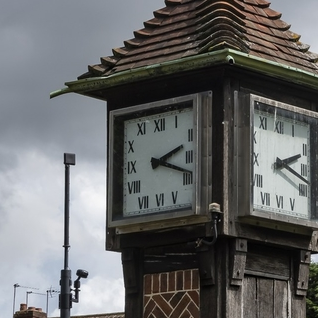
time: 2:18
